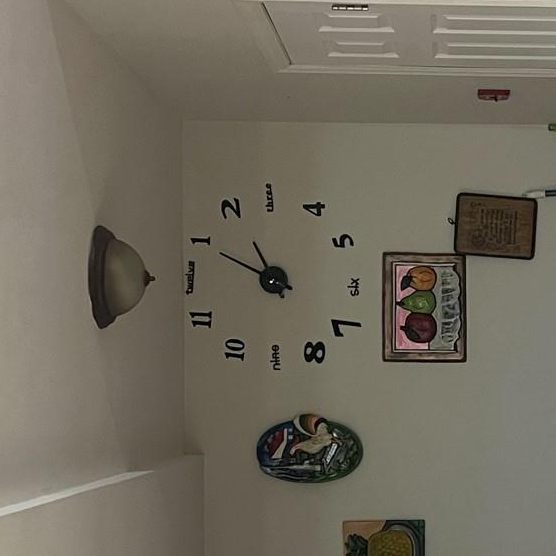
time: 10:49
